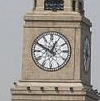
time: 12:49
